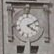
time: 4:10
